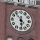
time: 4:29
